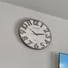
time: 10:13
